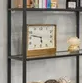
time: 5:47
